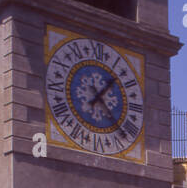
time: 1:23
